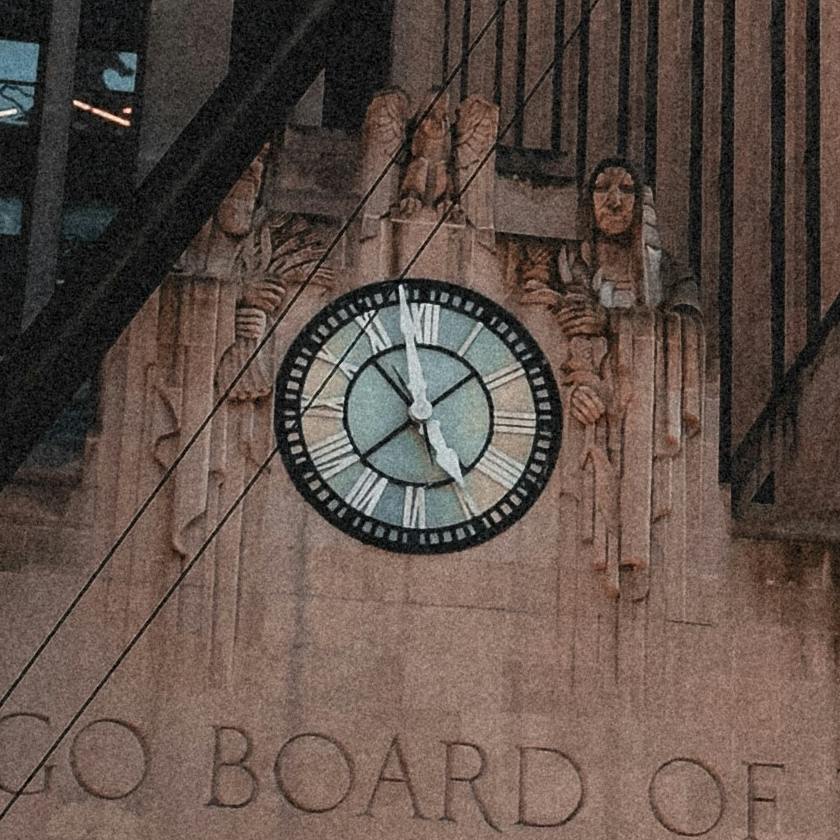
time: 10:37
